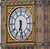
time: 6:28
